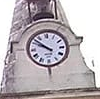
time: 9:51
